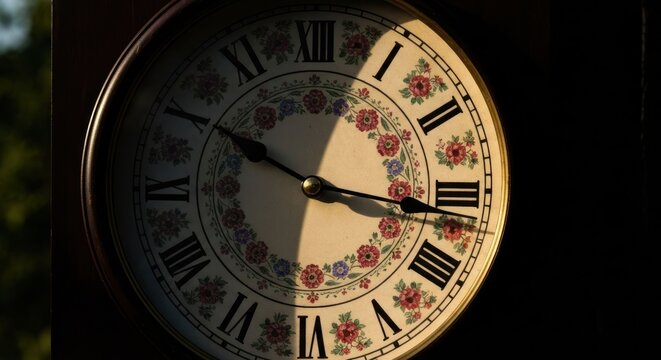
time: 10:16
